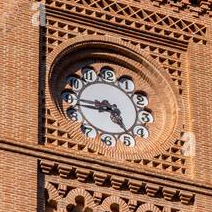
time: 4:45
